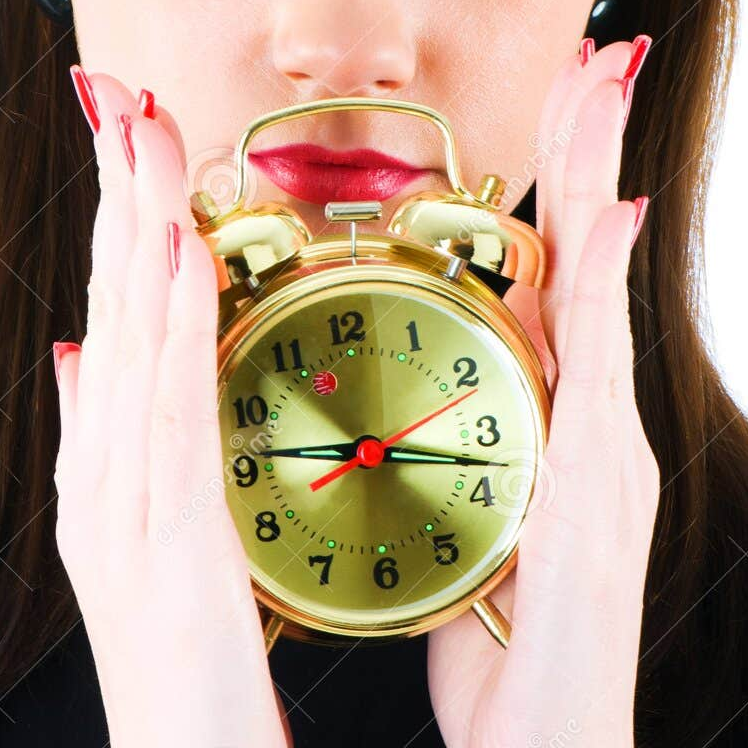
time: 9:17
